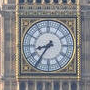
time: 8:36
